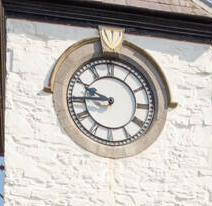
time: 9:44
